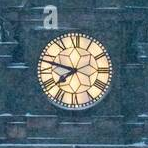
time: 7:47
